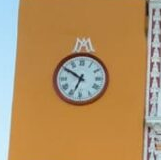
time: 6:50
